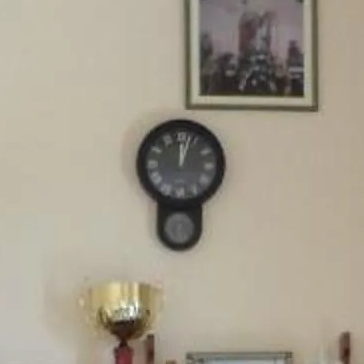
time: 12:03
